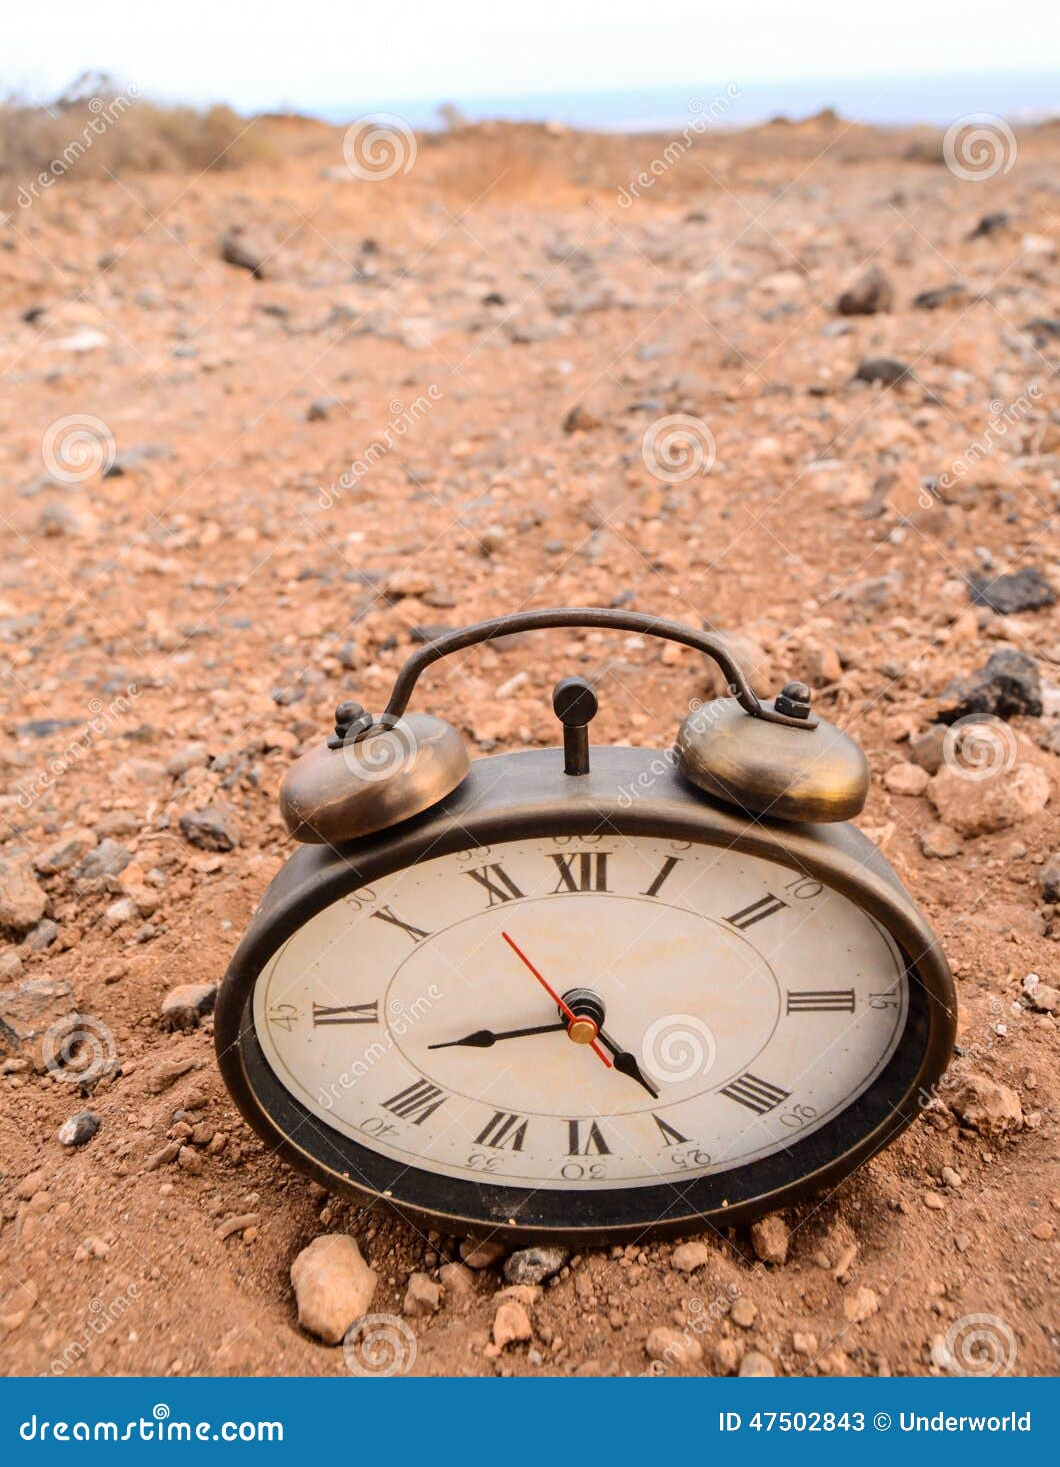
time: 8:24
